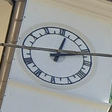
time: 12:12
